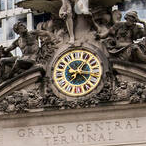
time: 1:16
